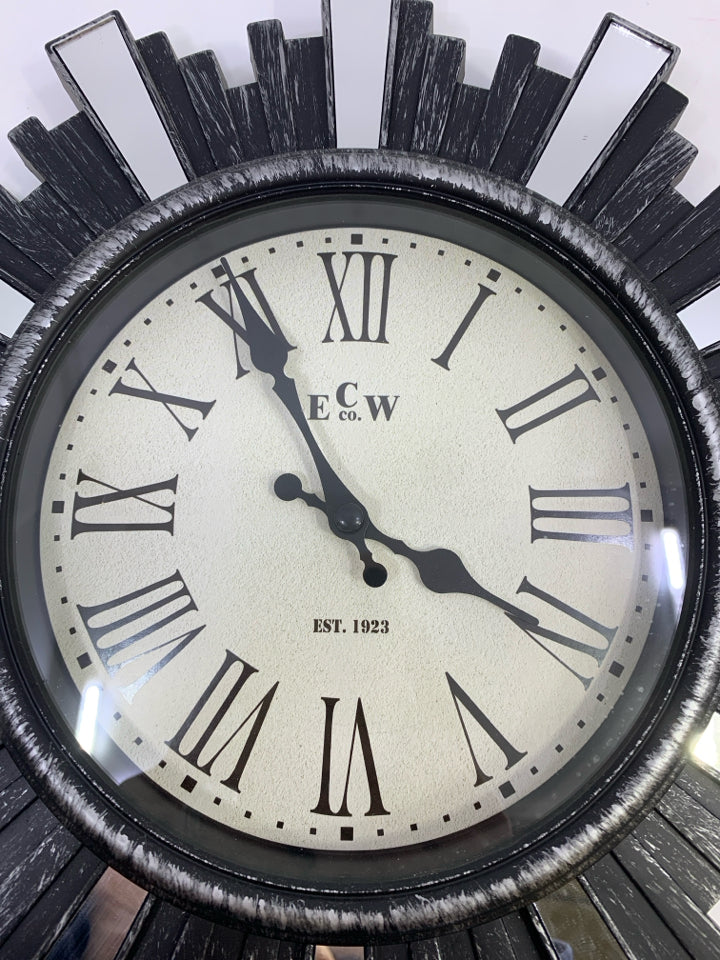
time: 3:55
